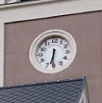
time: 6:30
